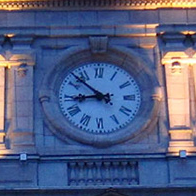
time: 8:52
